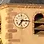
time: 7:15
